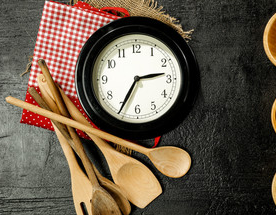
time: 2:34
